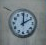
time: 2:00
